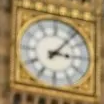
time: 3:06
